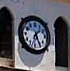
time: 1:25
